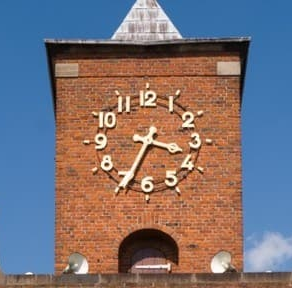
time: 3:34
